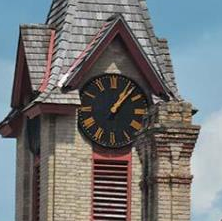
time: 1:07
